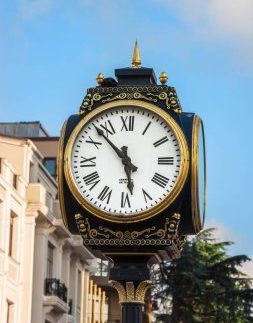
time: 5:52
